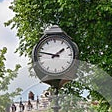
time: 1:47
